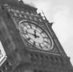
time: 12:47
